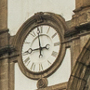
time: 8:58
